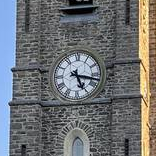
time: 5:17
